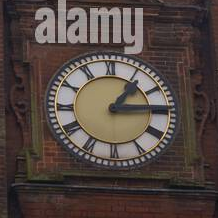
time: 1:14
